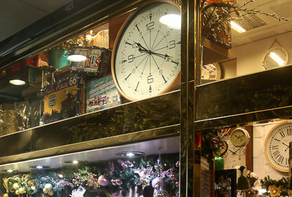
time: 10:19
